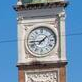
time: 1:44
